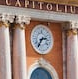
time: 2:36
